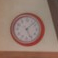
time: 5:07
